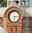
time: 6:15
